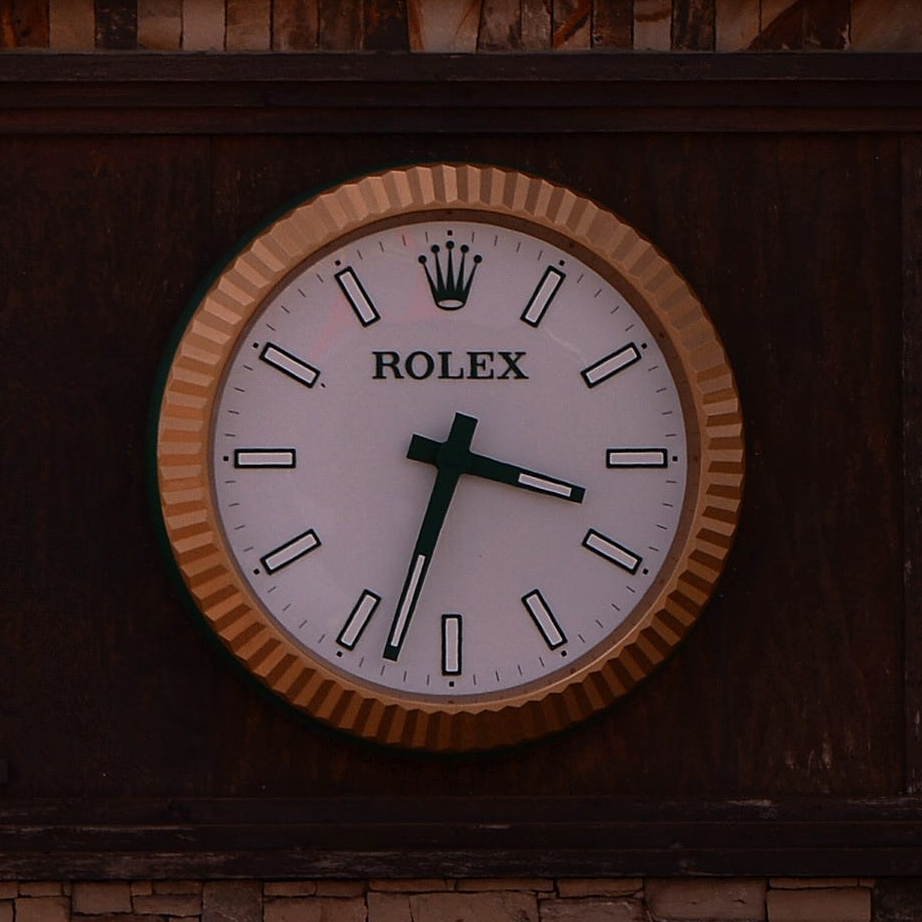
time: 3:32
